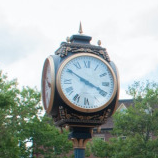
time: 3:50
